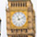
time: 11:11
